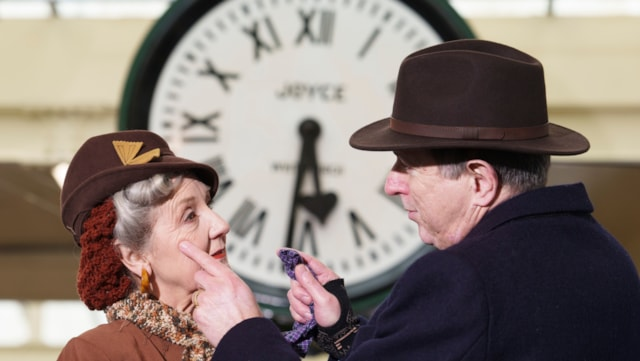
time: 5:31
